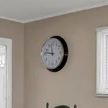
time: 11:46
